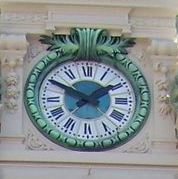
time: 1:50
